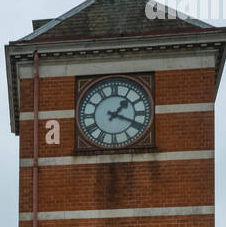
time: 1:18
